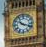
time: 10:18
